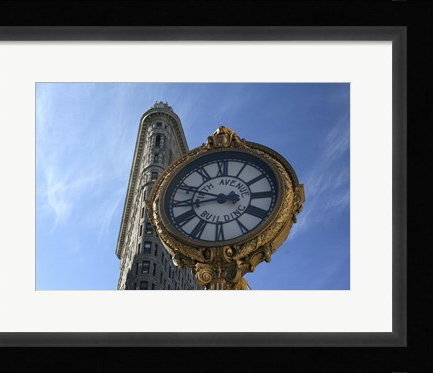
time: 8:47
